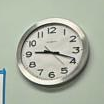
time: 9:18
